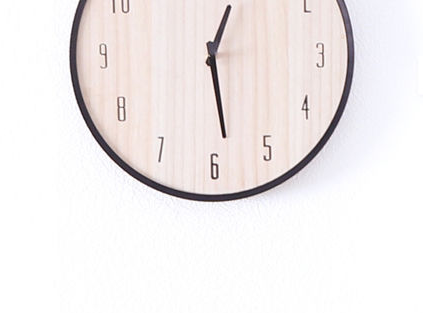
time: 12:28
